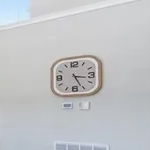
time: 3:25
